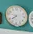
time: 7:47
